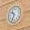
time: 10:34
